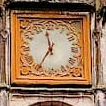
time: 11:35
